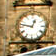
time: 12:47
